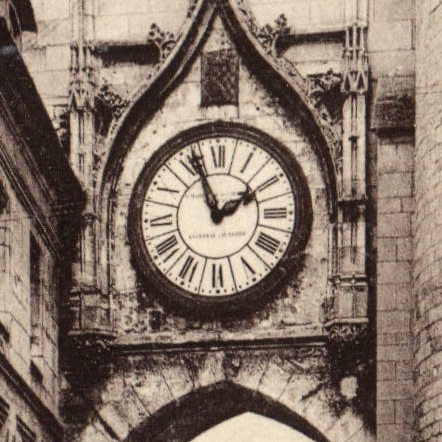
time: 1:56
